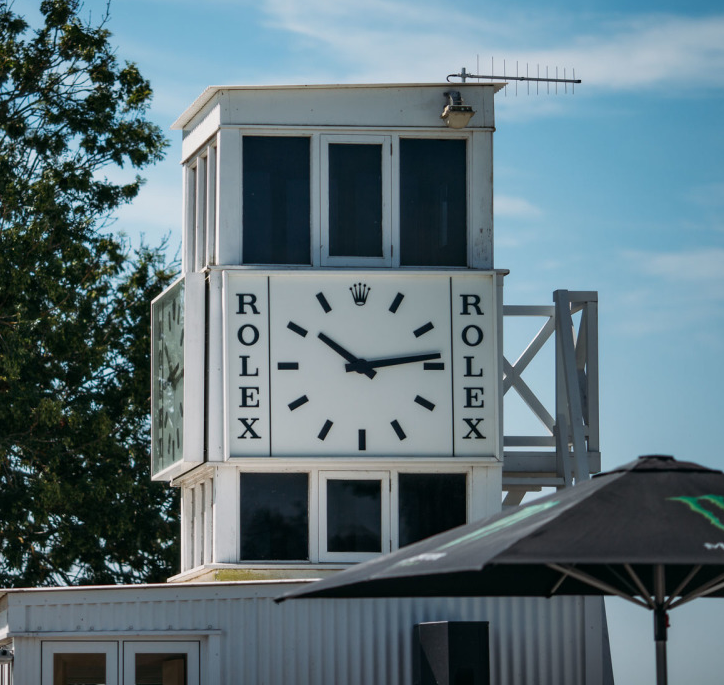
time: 10:13
